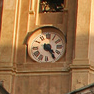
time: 4:24
